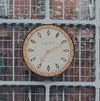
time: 7:10
